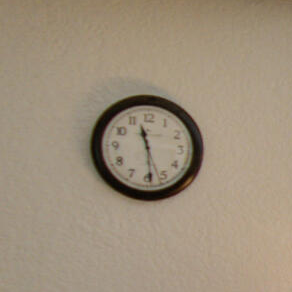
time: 11:28
